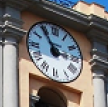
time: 2:54
